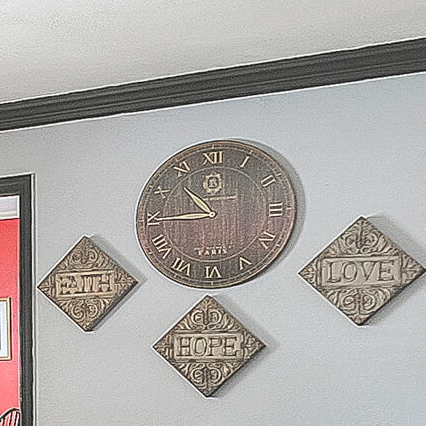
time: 10:44
